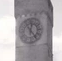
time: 12:23
